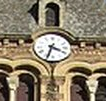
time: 3:33
